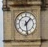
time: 1:28
